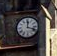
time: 12:18
